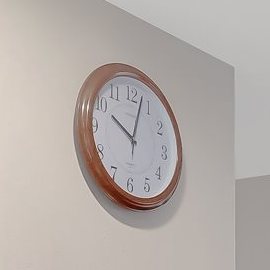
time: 10:02
